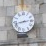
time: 2:42
